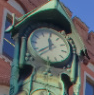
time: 11:37
